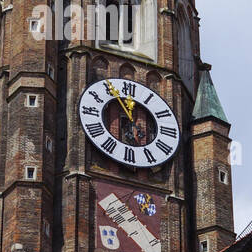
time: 11:55
